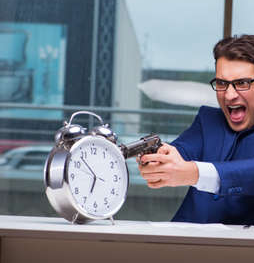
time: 6:52
